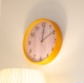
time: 12:09
